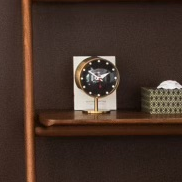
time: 1:50
